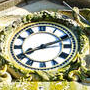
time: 8:11
